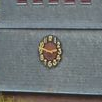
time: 2:46
